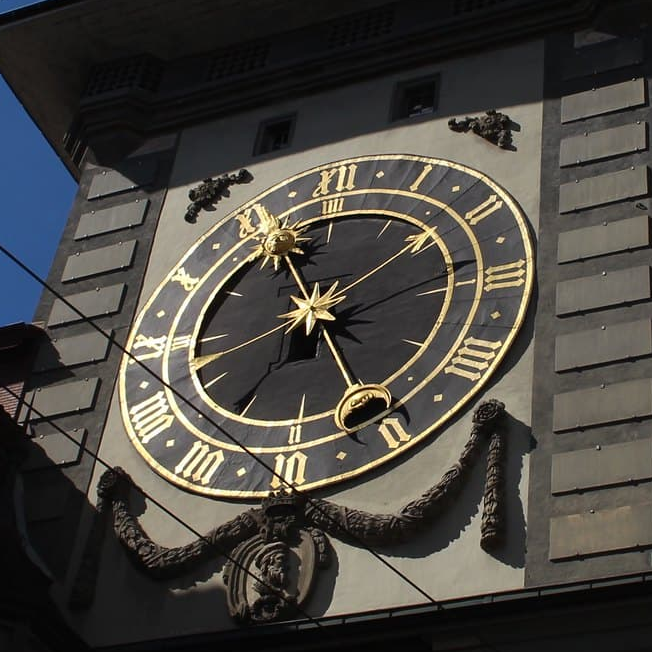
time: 6:56
